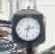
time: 2:32
